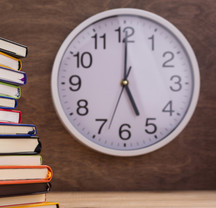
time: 5:00
